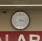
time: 3:17
